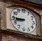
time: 8:45
